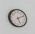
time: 5:10
